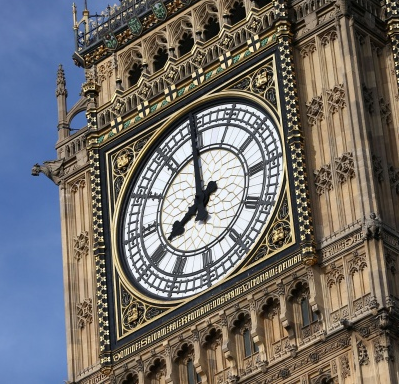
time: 7:59
